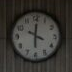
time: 10:00
